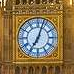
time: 7:03
